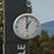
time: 1:00
